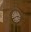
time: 2:40
